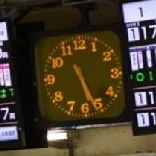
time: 5:26
